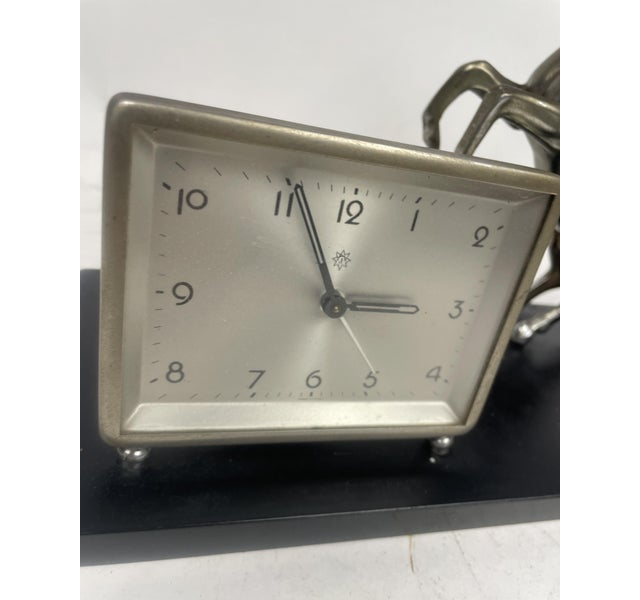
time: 2:56
